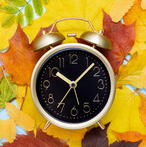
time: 10:07
